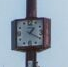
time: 1:19
